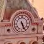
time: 5:26
